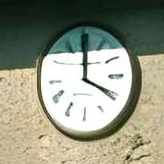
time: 4:00
